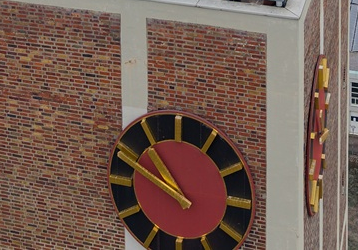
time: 10:49
